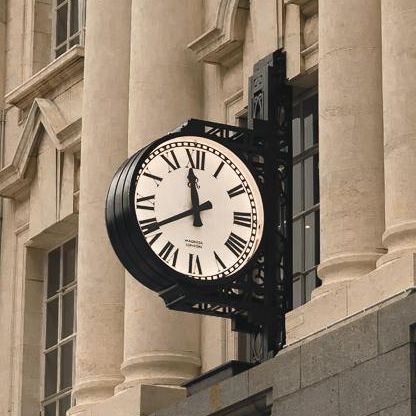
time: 11:39
